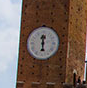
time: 5:59
